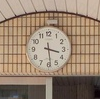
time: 3:28
